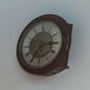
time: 7:15
